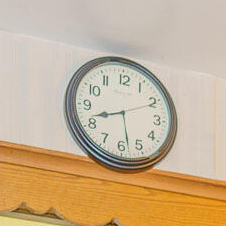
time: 8:28
